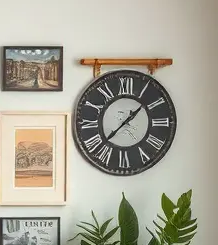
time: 1:37
